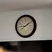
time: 8:09
